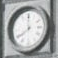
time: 7:59
